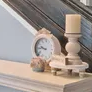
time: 9:45
